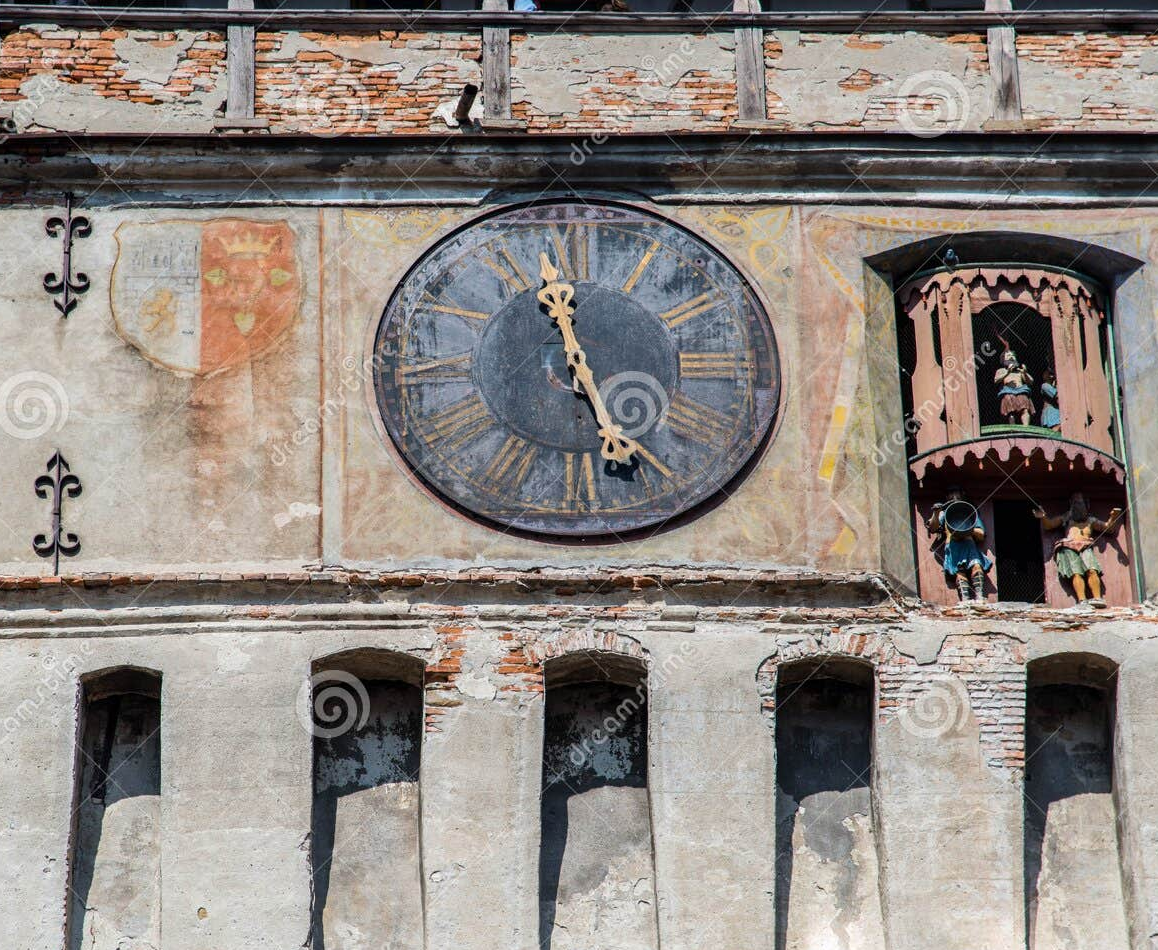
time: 11:25
